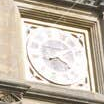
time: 4:10
